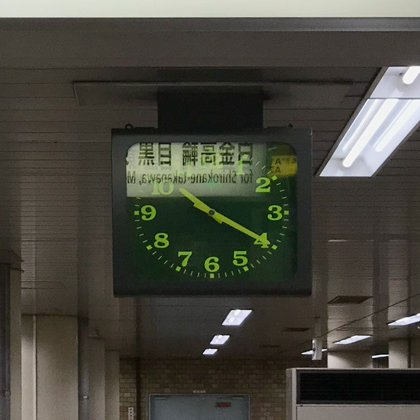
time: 10:19
